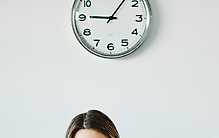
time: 9:06
